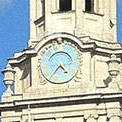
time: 4:36
